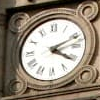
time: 4:11
